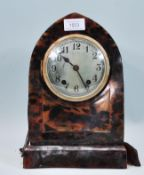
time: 10:24
